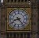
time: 8:23
